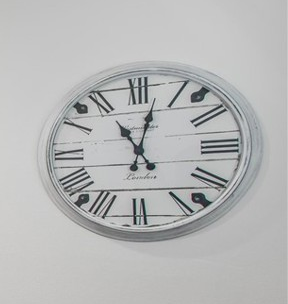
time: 11:02
